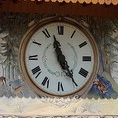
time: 11:25
